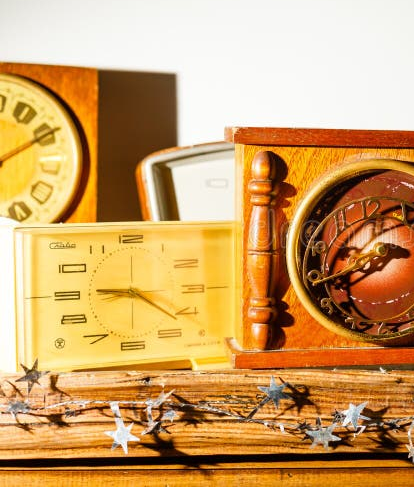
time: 9:21
